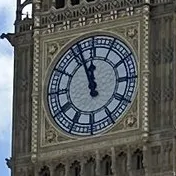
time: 11:56
